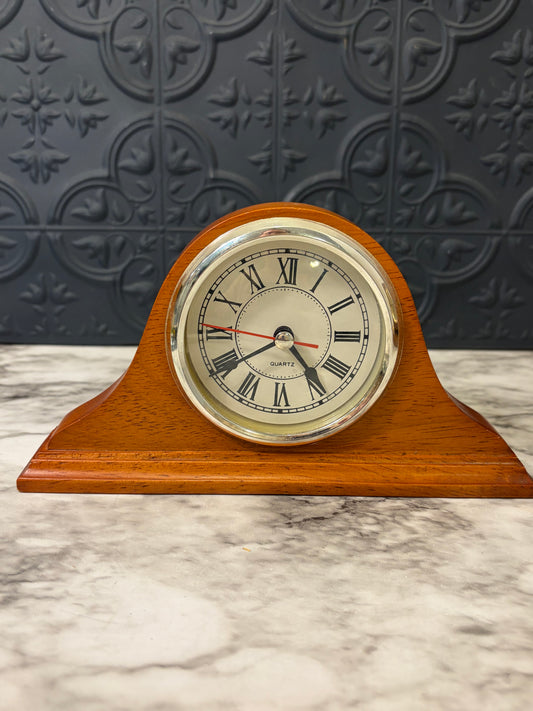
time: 4:40
